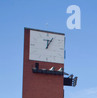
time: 12:04
